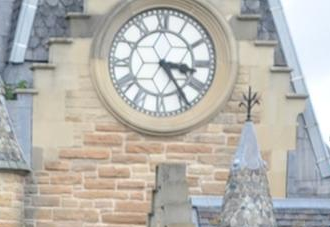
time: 3:24
